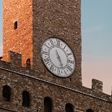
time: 5:26
